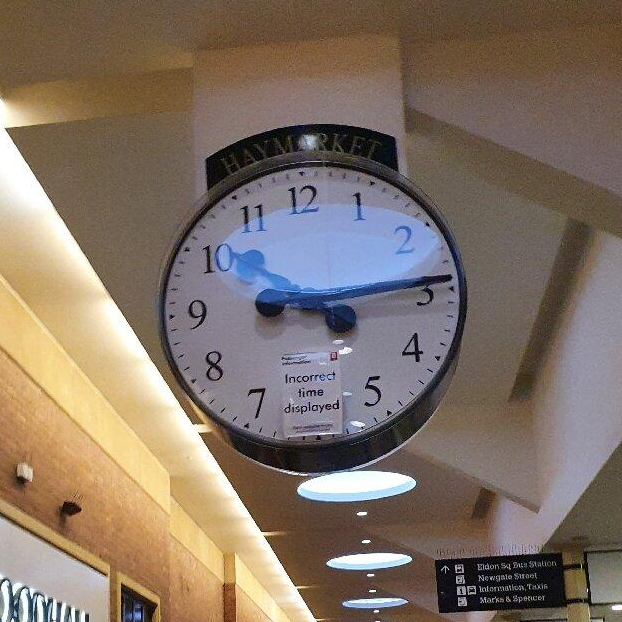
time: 10:14
